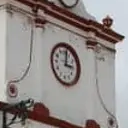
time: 3:01
